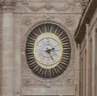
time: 2:23
